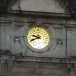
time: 9:41
